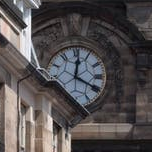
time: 12:19
